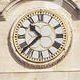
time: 10:37
